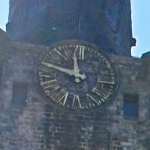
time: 11:48
